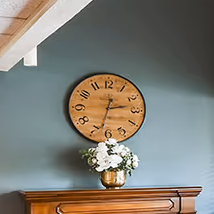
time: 2:32
